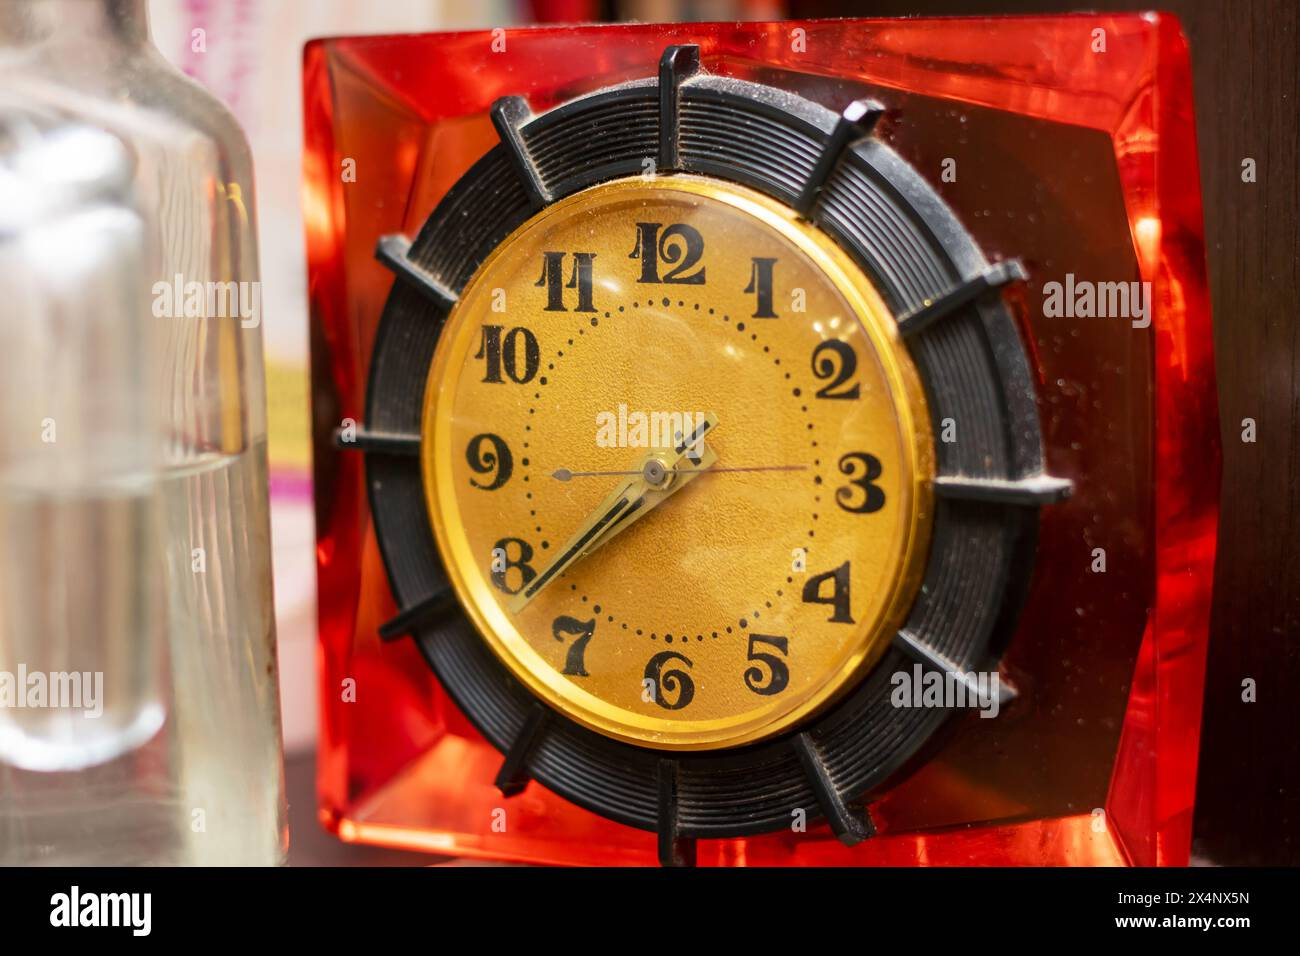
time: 8:38
